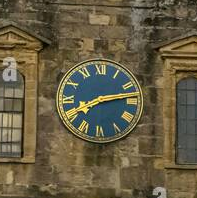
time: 8:13
